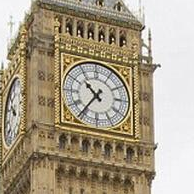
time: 10:36
